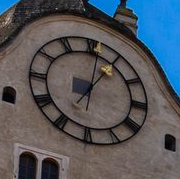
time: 1:01
